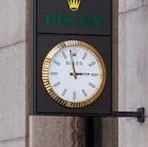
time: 2:58
